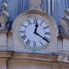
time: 12:20
